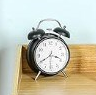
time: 3:40
